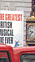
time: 9:38
